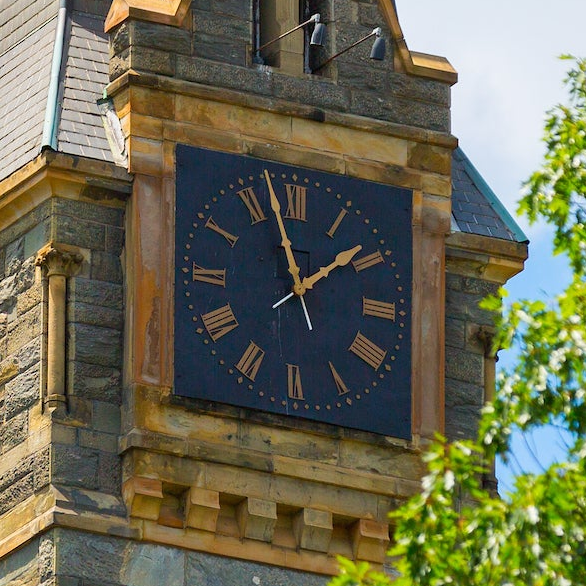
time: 1:57
